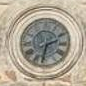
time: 2:32
